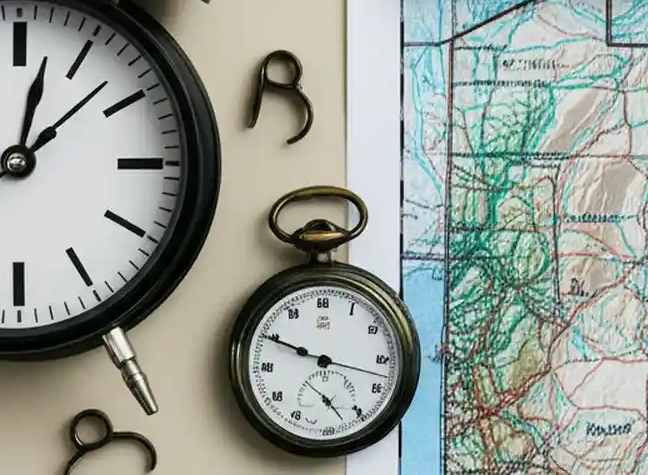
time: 9:49
